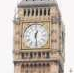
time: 12:28
